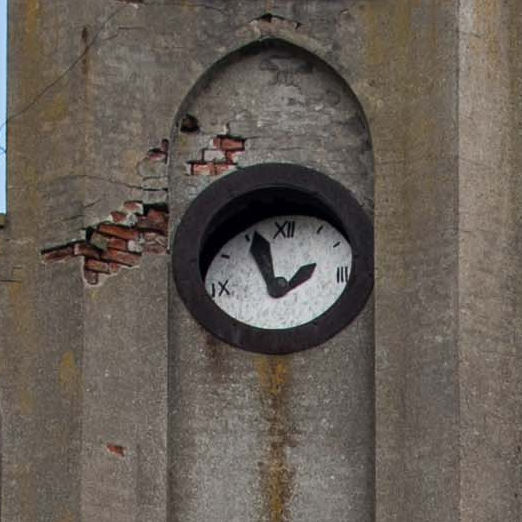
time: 1:56
